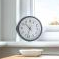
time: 10:32
